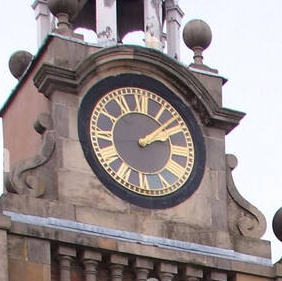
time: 2:08
